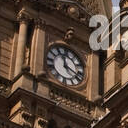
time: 11:18
